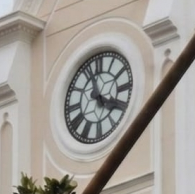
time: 3:57
